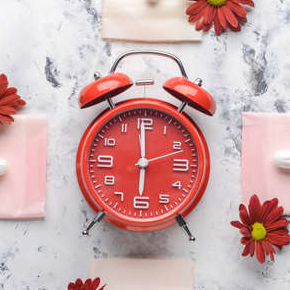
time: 5:59
